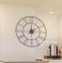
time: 2:00
